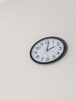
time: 2:01
